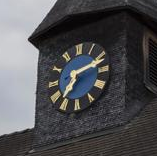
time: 7:11
